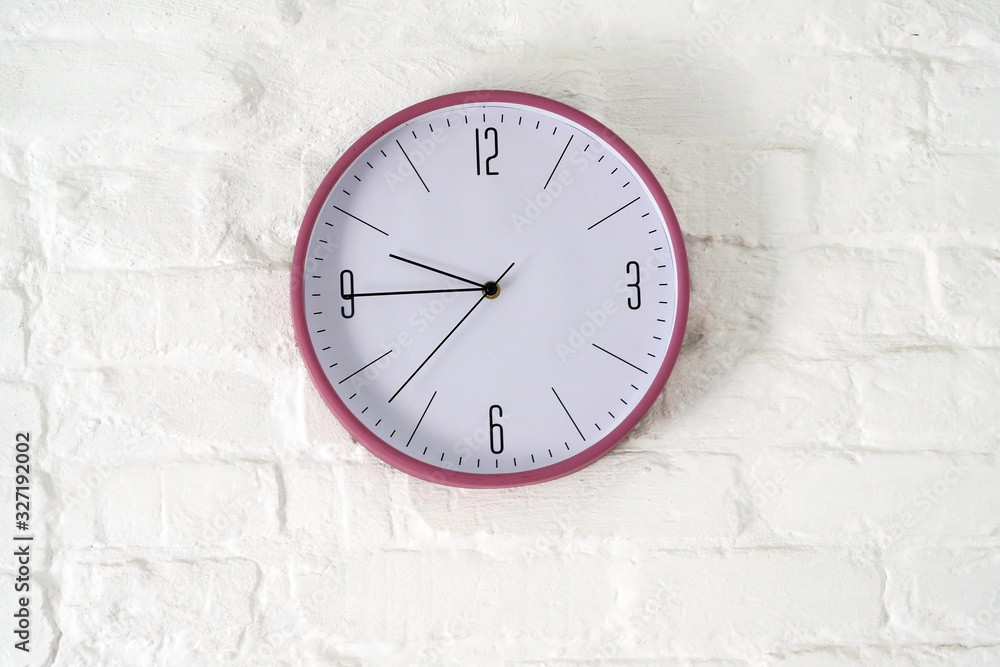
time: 9:45
